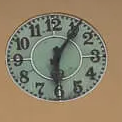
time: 6:06
